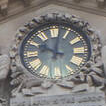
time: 10:02
